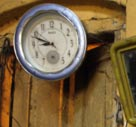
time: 8:48
